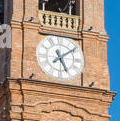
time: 5:08
